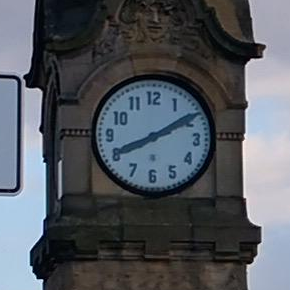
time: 8:09
